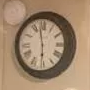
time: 5:58
